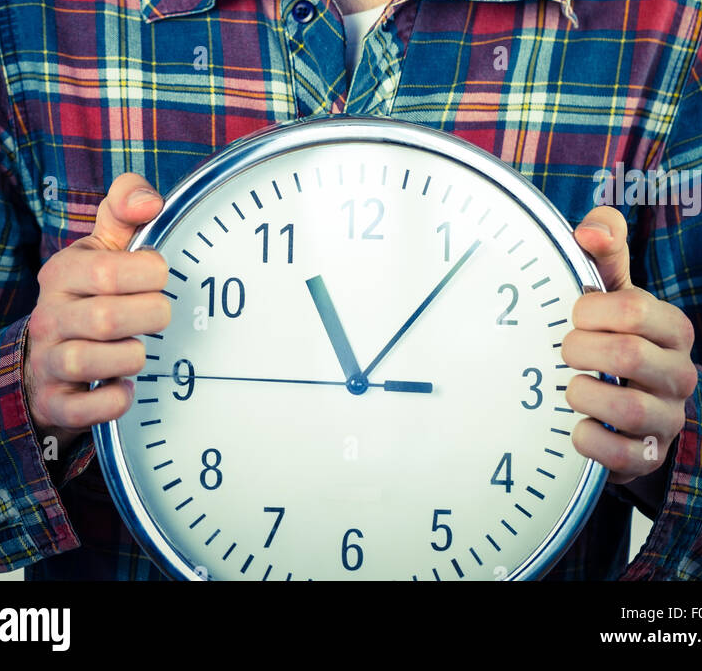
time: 11:06
